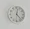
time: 12:23
